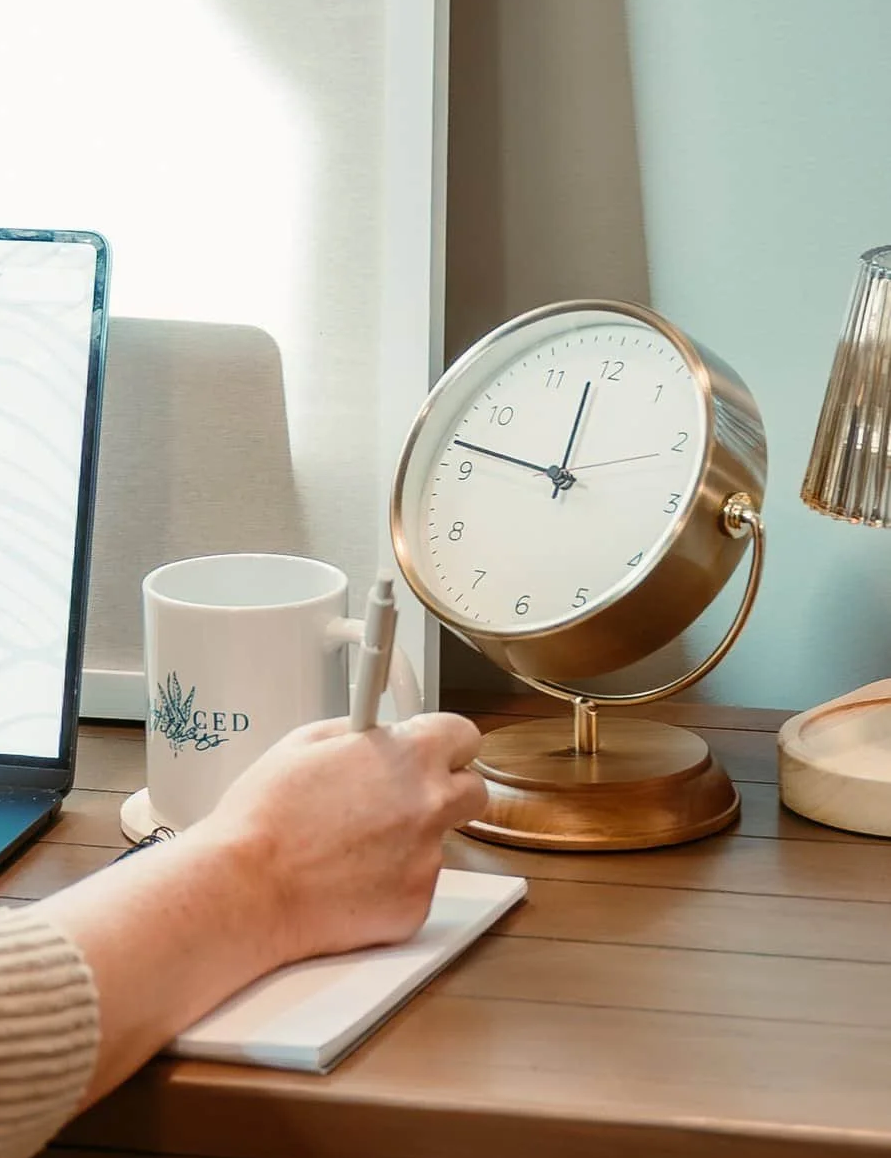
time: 11:46
